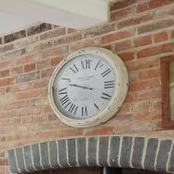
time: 9:48
